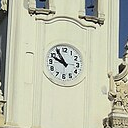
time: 9:54
